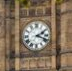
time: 2:18
